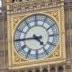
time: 4:44
